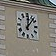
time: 12:07
